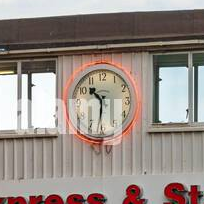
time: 10:31
